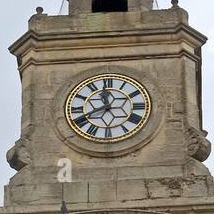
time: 11:41
